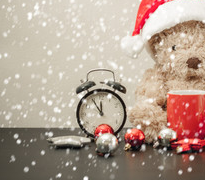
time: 11:54
